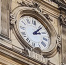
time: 2:06
